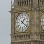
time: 1:21
